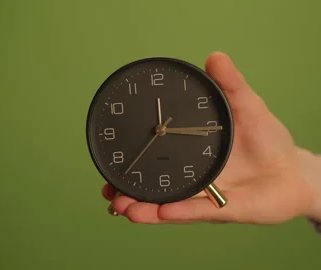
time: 3:15
